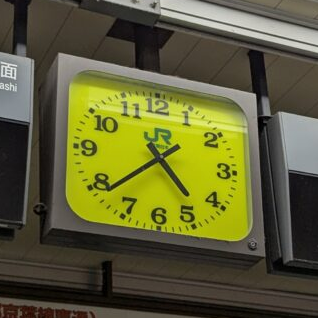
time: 4:38
